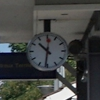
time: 10:31
